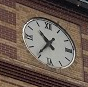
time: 10:35
